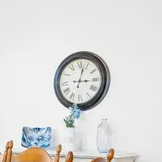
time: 3:02
